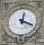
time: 12:18
